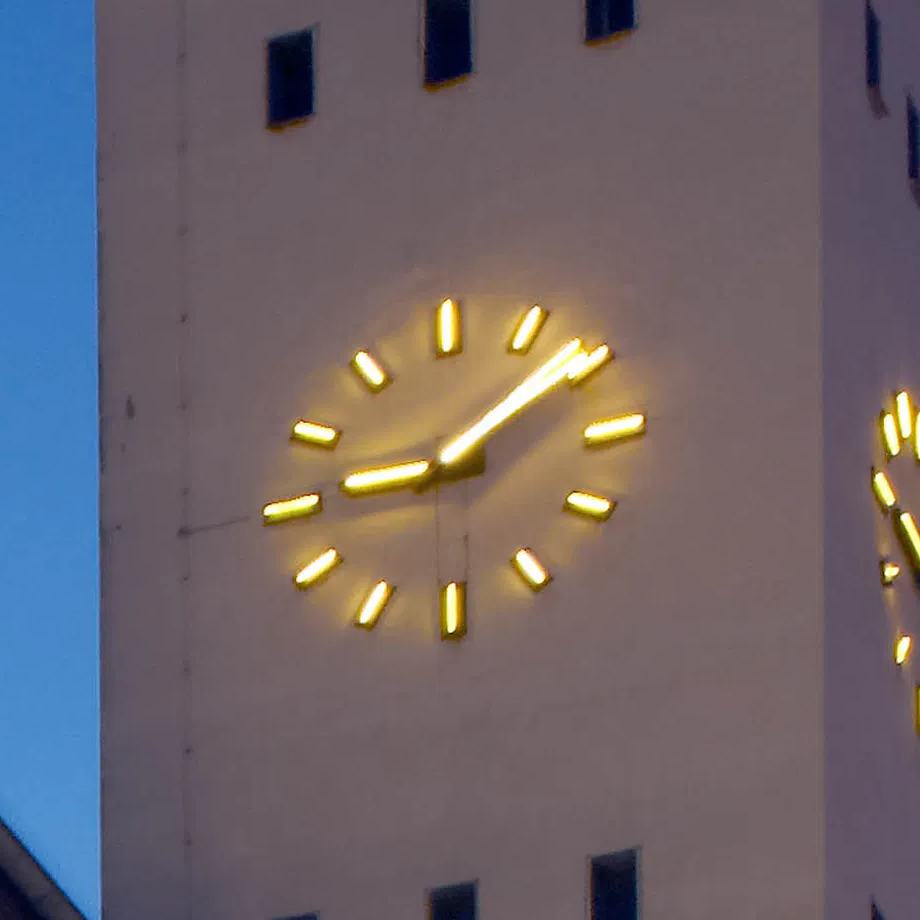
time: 9:09
